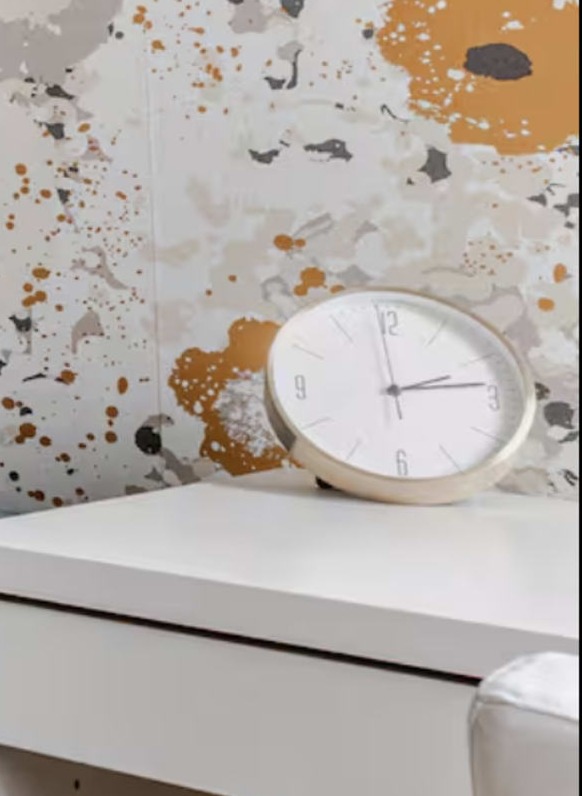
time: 2:13
